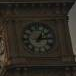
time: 1:13
